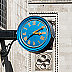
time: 3:09
